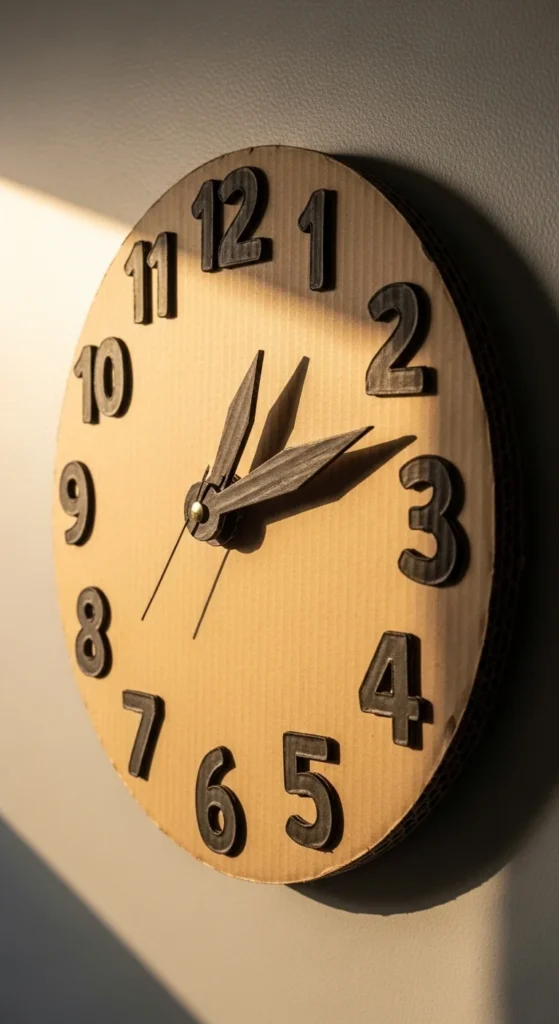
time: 1:12
